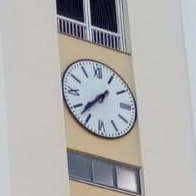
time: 7:37
